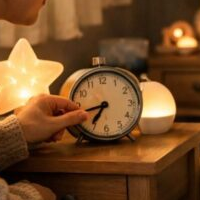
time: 8:35
